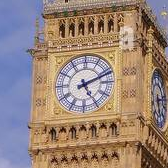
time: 5:11
